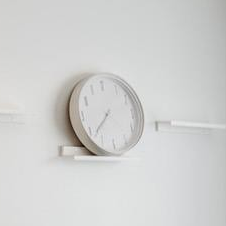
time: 7:37
